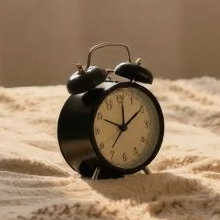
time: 12:09
